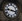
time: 9:17
